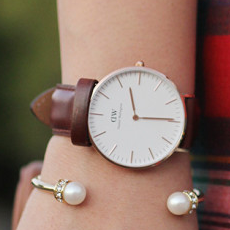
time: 11:14
